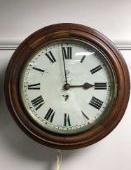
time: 2:58
